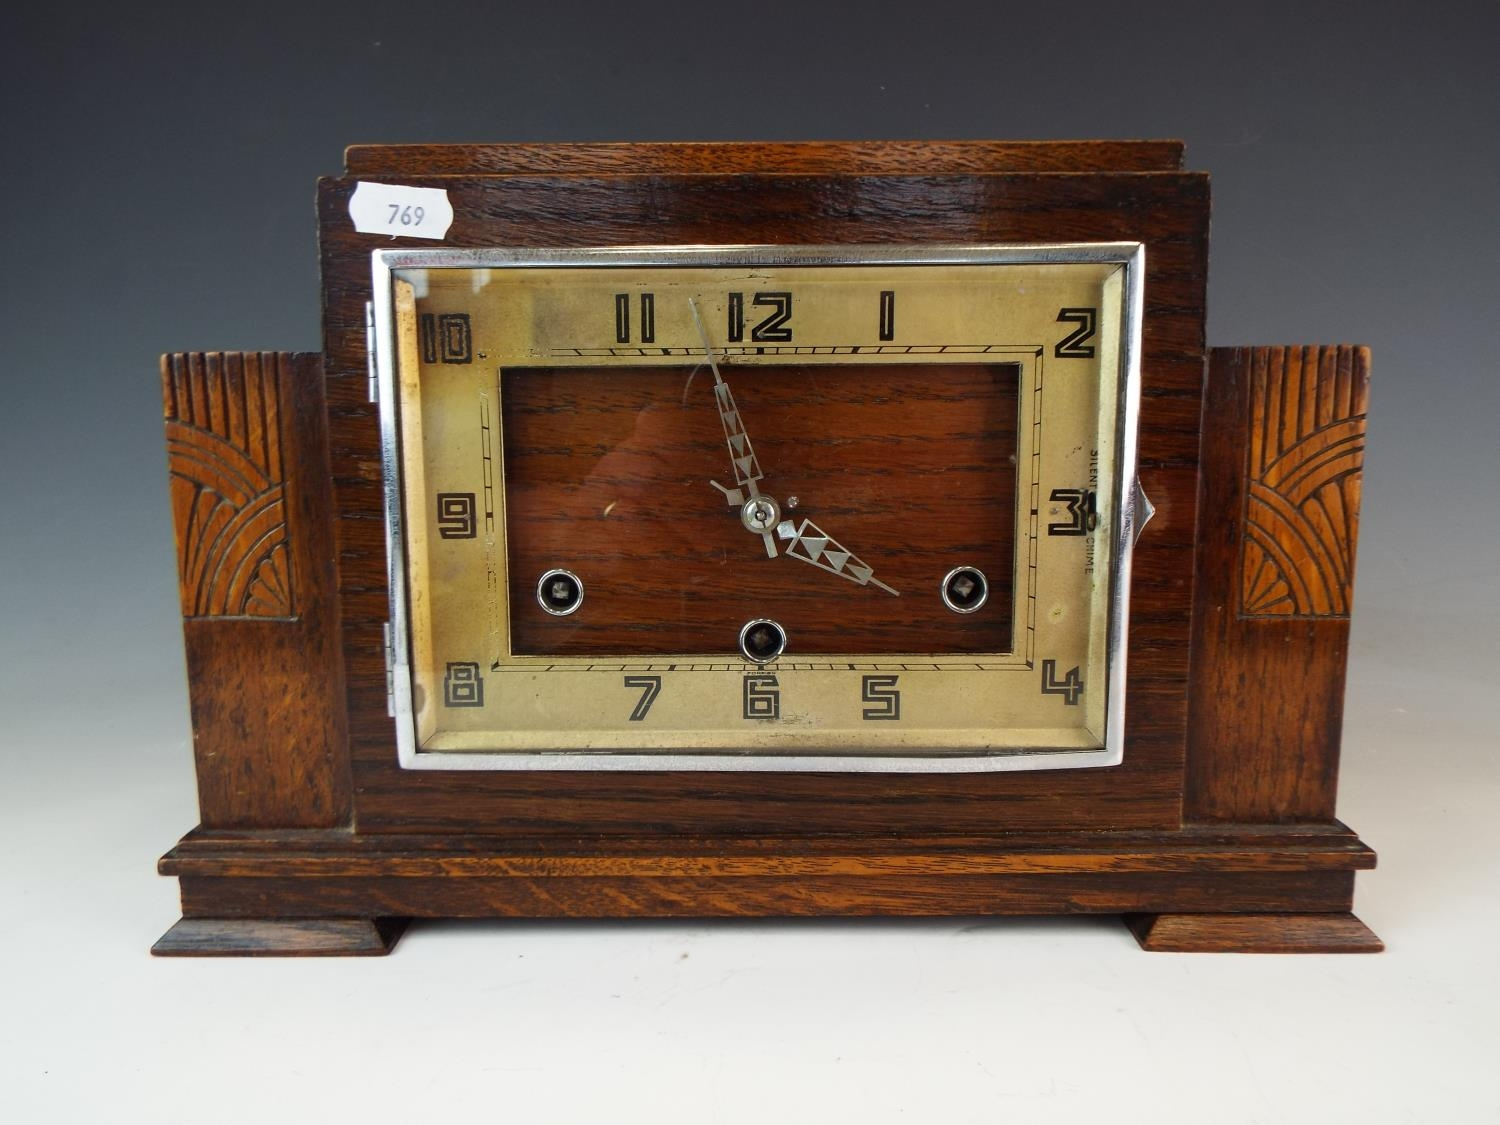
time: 3:58
